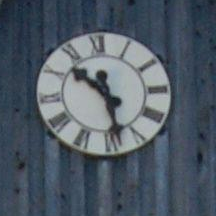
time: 10:28
